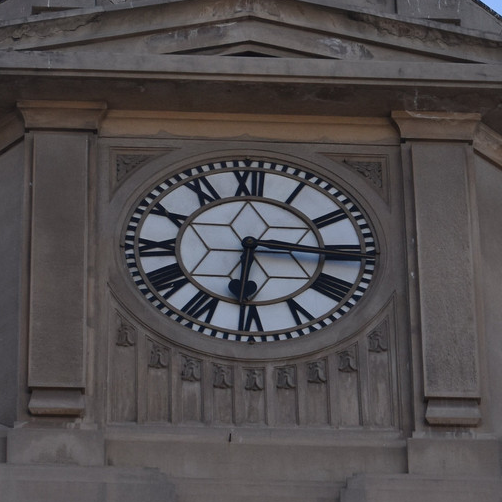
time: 6:15
